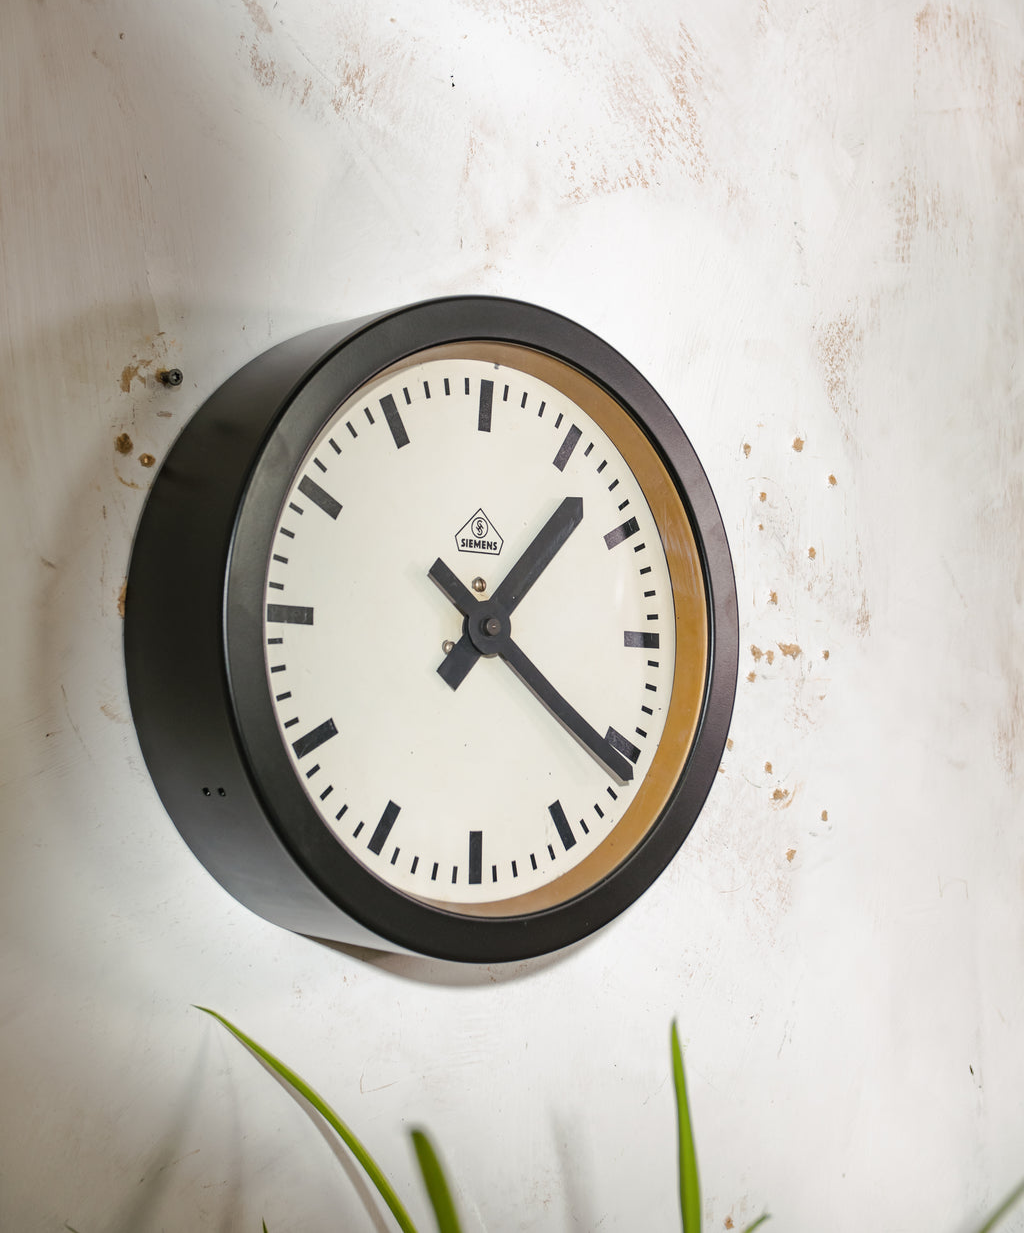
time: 1:20
